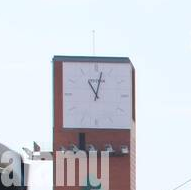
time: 11:02
